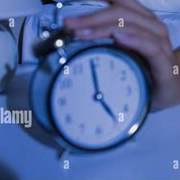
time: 4:59
